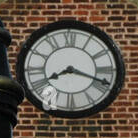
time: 8:18
